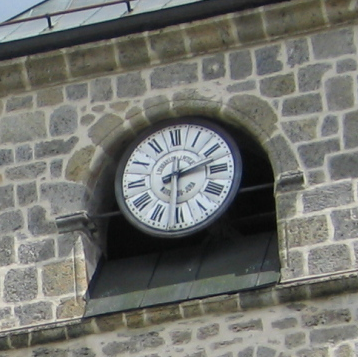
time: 2:30
